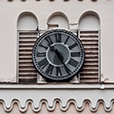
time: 10:25
